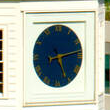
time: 5:13
